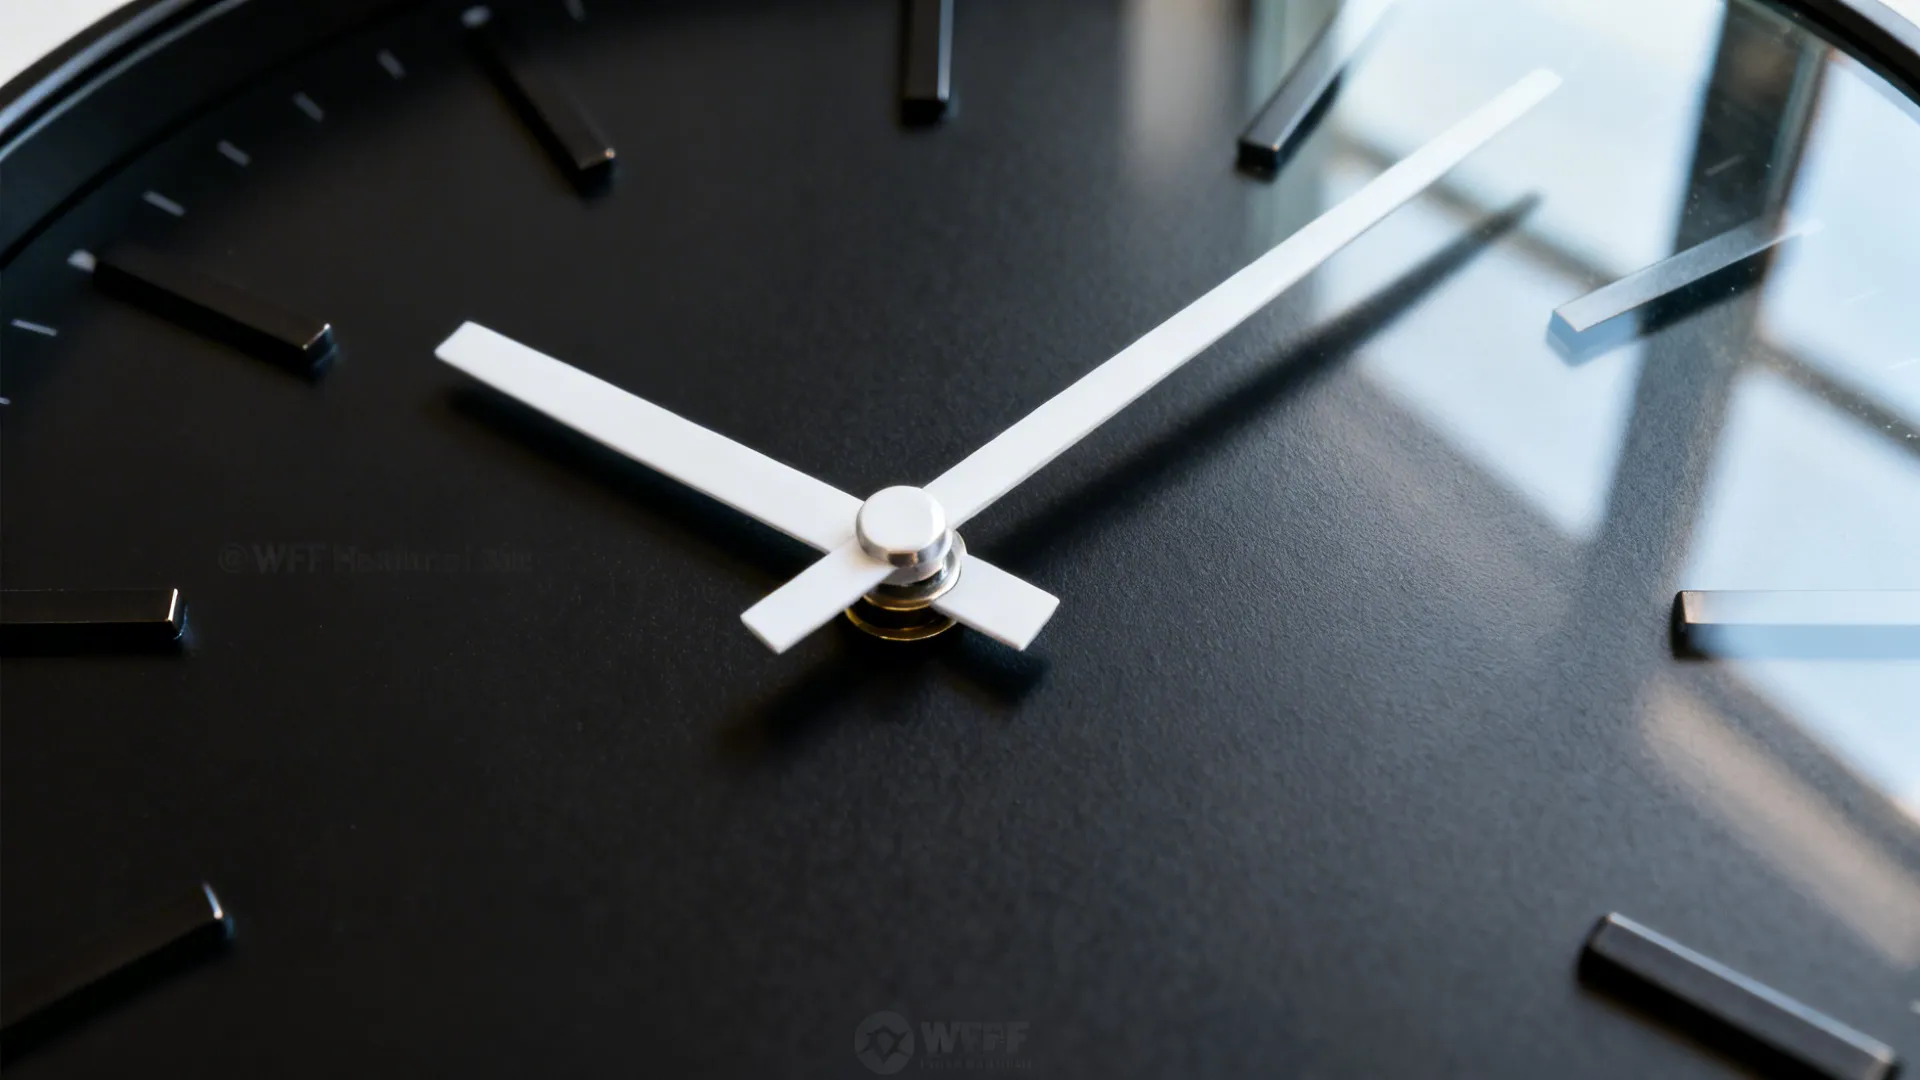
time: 10:07
